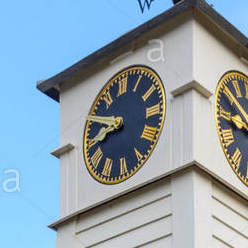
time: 8:49
